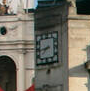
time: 7:43
